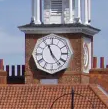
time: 11:23
